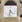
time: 4:31
